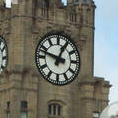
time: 12:47
